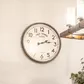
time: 2:13
